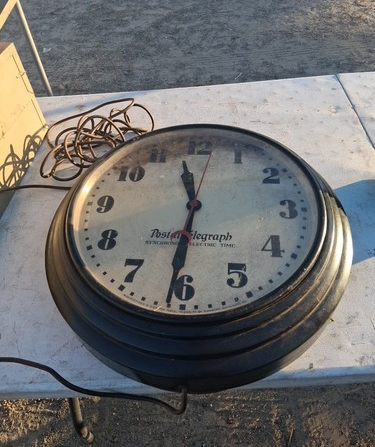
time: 11:31
